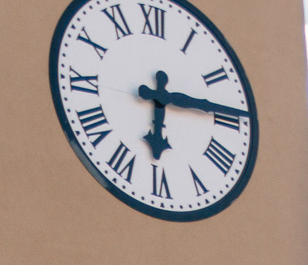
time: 6:14
